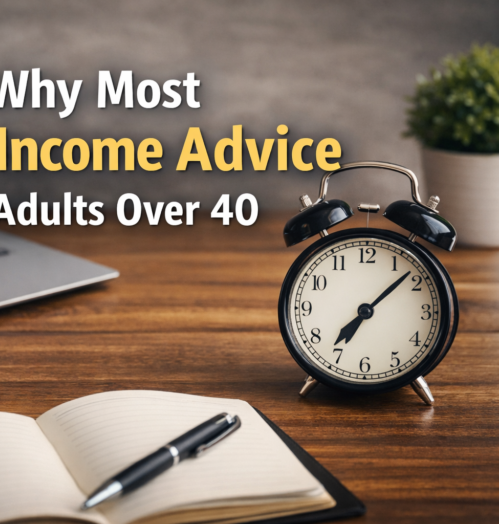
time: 7:08
